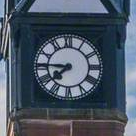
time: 7:45
